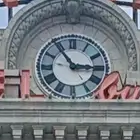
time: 2:54
